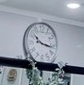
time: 10:16
